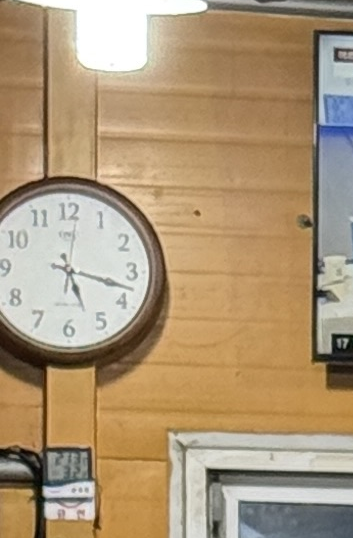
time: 5:17
